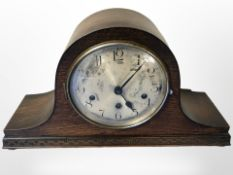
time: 5:06
